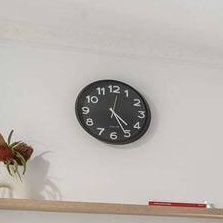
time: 4:25
